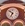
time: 6:52
